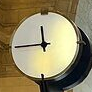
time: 11:43
